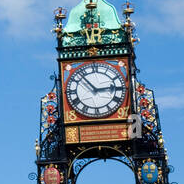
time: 2:53
